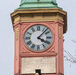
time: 4:07
